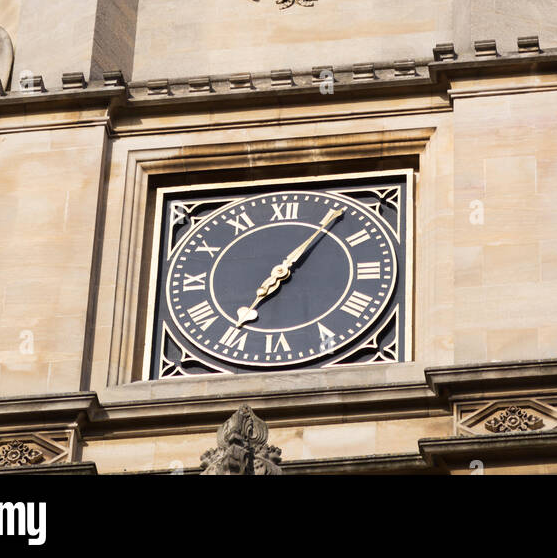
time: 7:06
